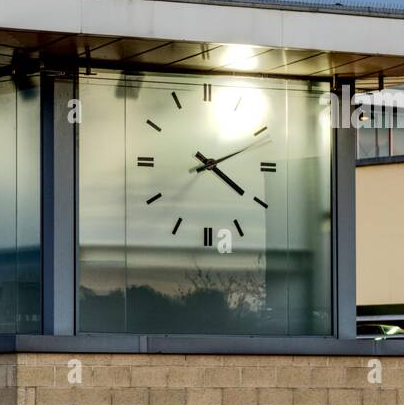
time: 4:11
